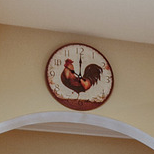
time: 10:00
